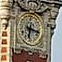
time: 6:17
